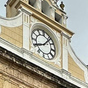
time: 8:06
